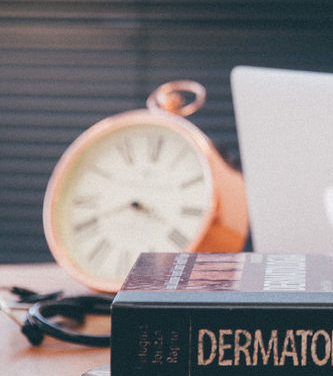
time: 3:41
